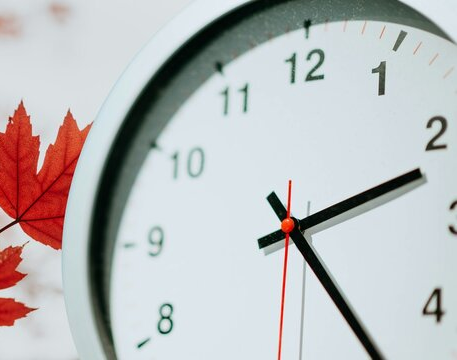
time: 2:23
